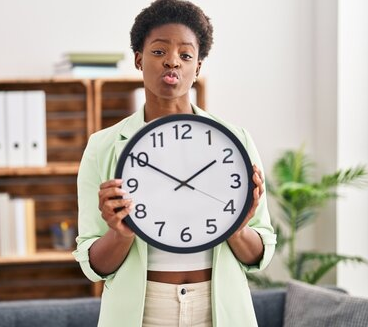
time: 1:50
